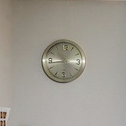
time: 5:43
